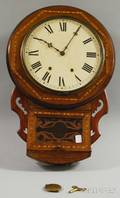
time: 10:05
